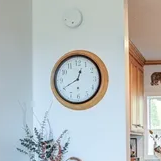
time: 12:40
